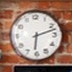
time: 6:12
